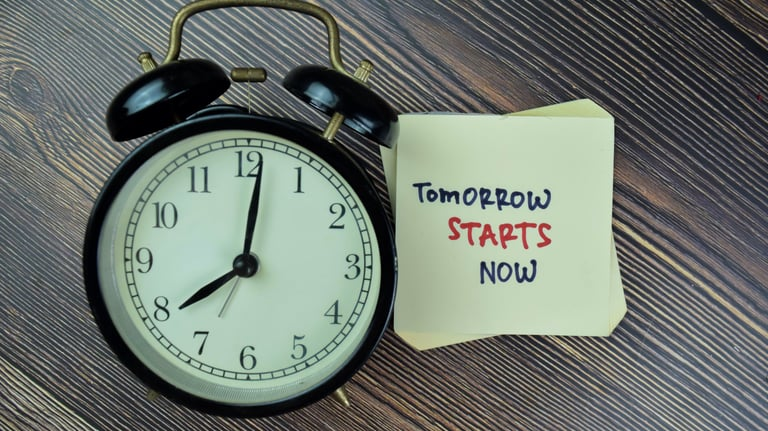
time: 8:01
